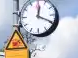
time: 12:19
